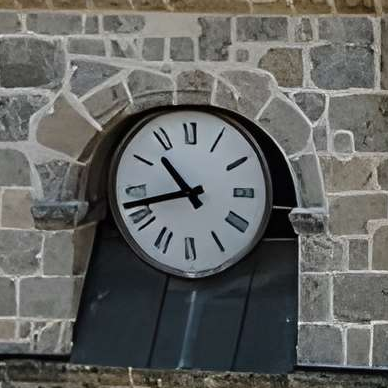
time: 10:42
